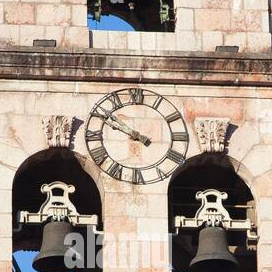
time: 9:50
